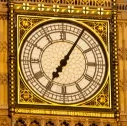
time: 7:05
